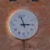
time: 2:57
